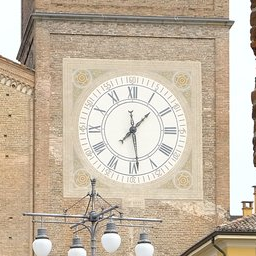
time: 1:28
